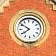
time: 7:51
